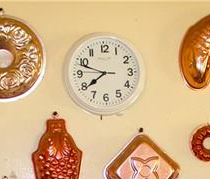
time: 7:48
